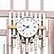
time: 9:38
